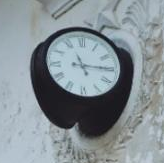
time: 11:15
